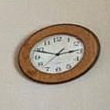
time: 2:48
